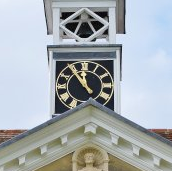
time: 11:54
